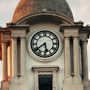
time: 5:38
